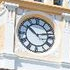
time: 10:12
